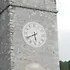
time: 5:40
